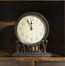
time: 11:55
